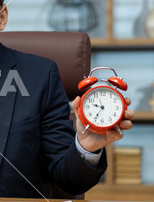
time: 9:35
